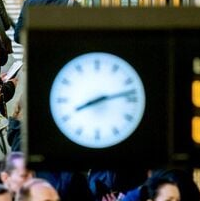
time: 8:12
